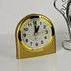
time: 1:00
